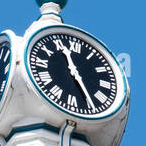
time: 11:24
